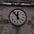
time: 11:53
